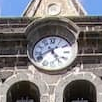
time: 4:40
